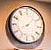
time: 8:07
